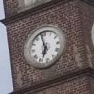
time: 6:58
